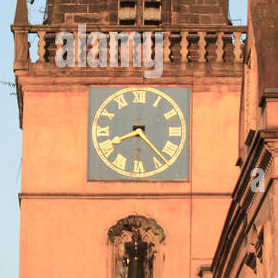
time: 8:22
